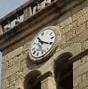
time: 11:20
